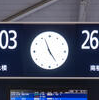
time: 4:56
